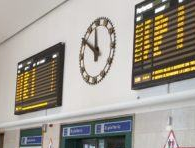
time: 11:50
